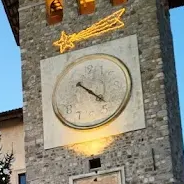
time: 4:22
